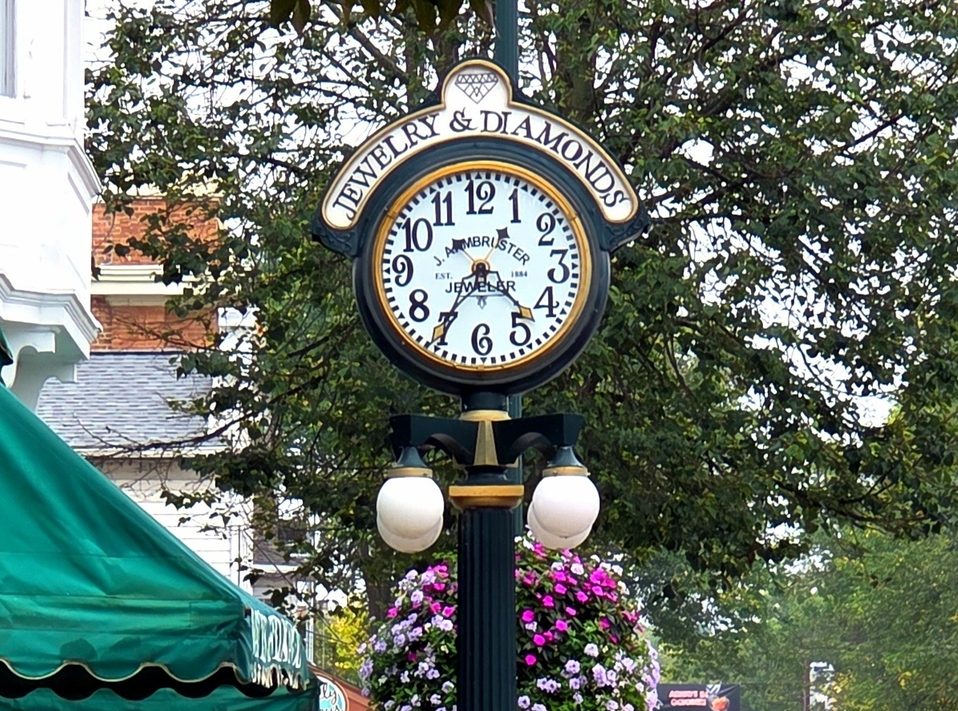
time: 4:35
